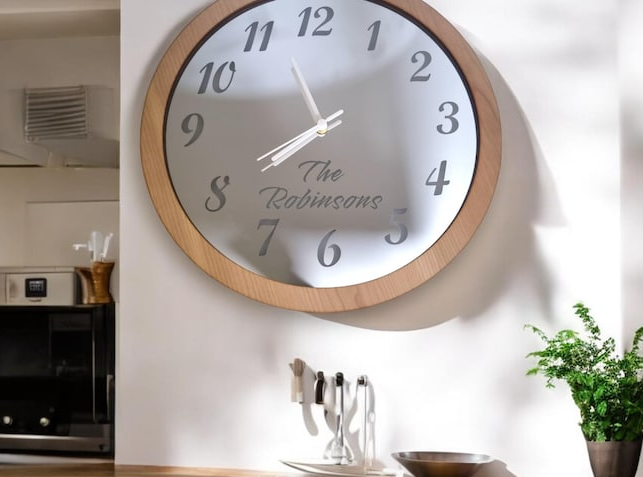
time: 7:57
